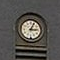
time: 3:04
